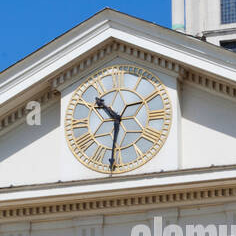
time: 10:31
